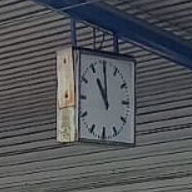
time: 10:59
